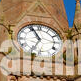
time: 6:55
